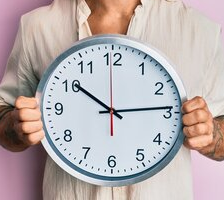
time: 10:13
